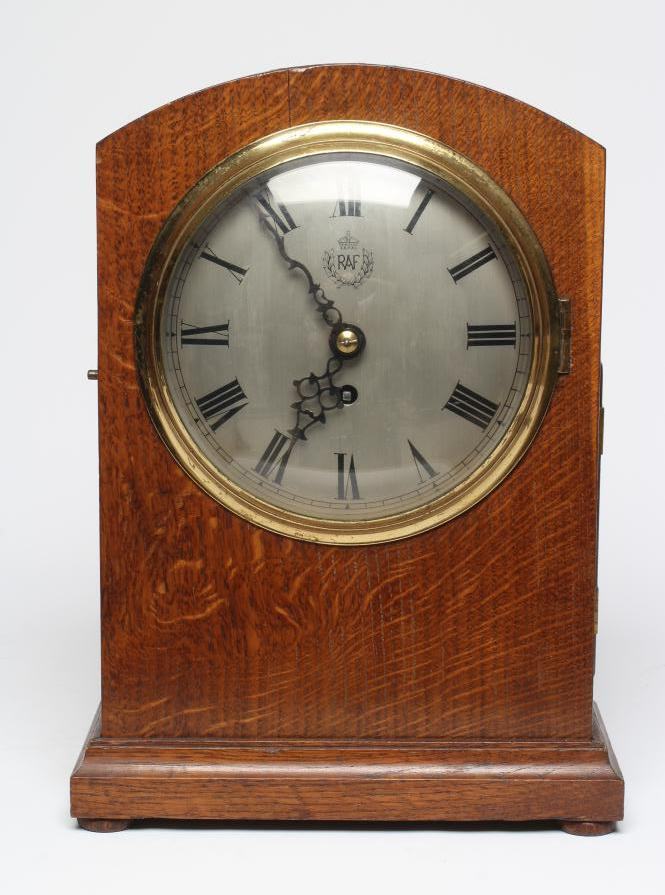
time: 6:54
